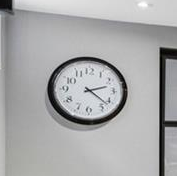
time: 2:21
